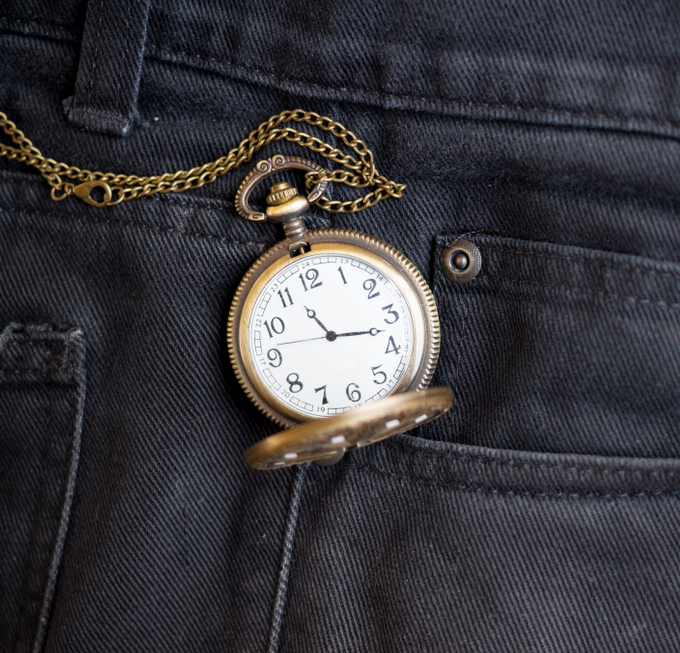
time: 11:17
